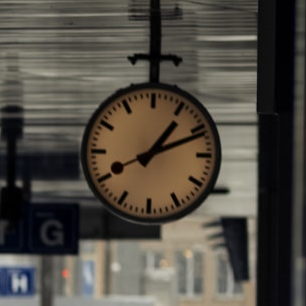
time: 1:11
